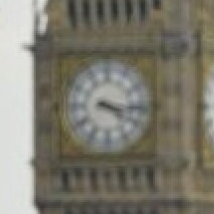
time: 4:16
